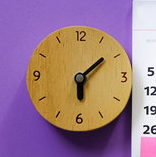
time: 6:08
